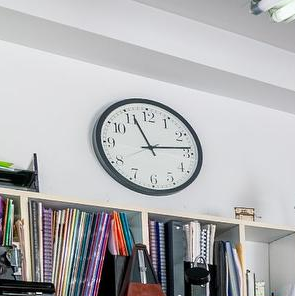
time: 11:13
